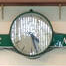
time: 4:27
